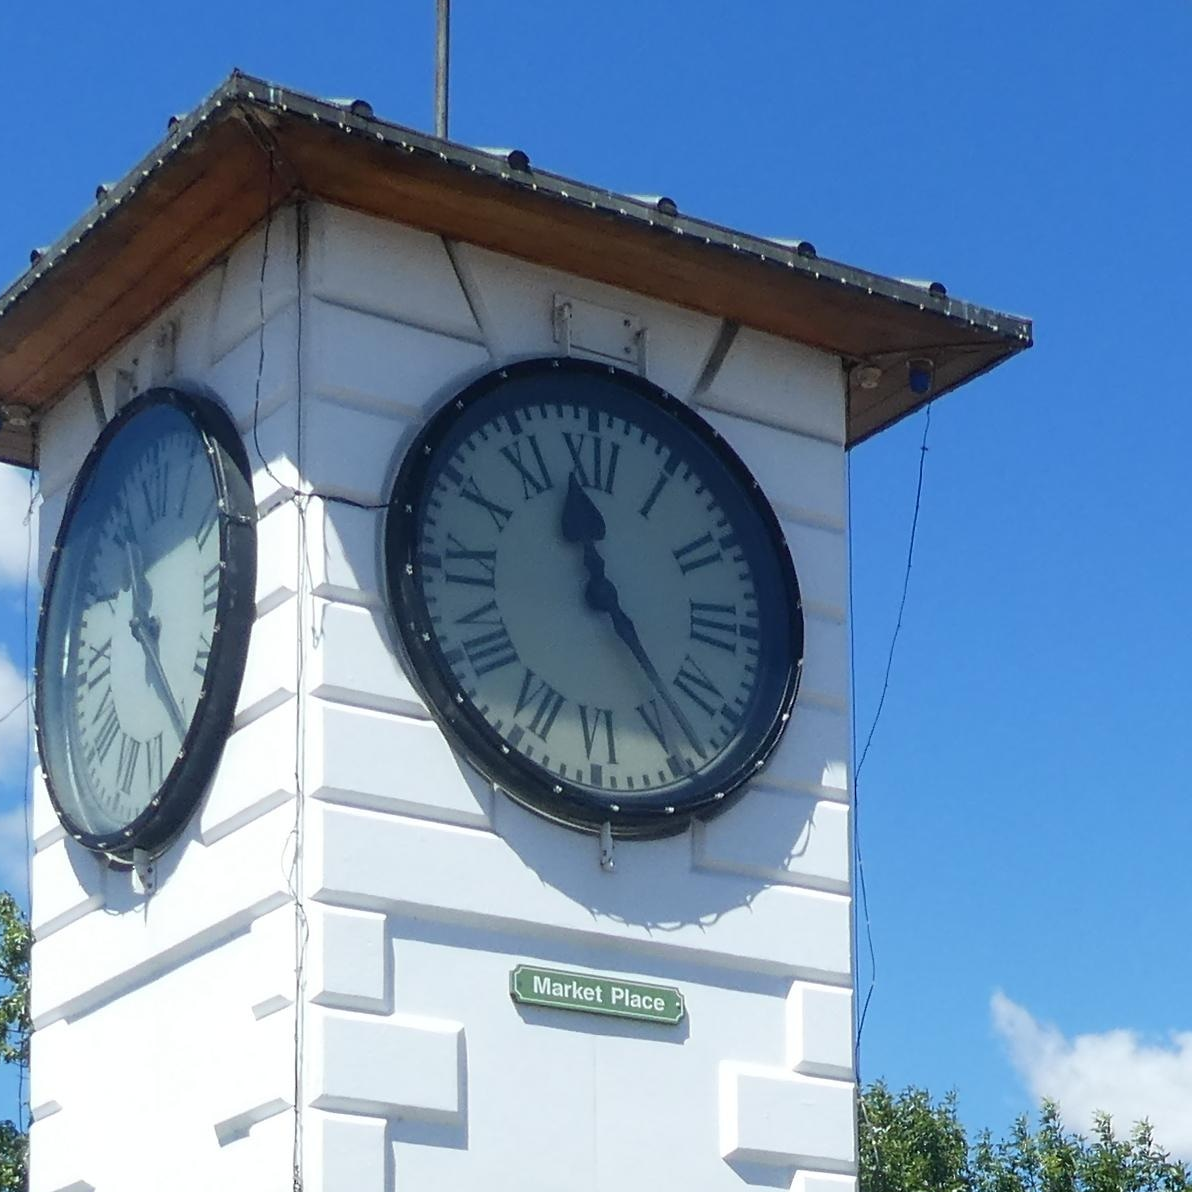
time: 11:23
